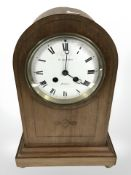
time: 4:00
